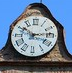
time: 10:13
